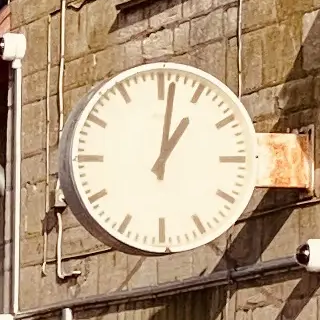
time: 1:01
